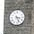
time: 3:26
